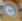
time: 4:12
